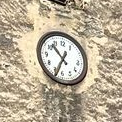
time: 10:33
